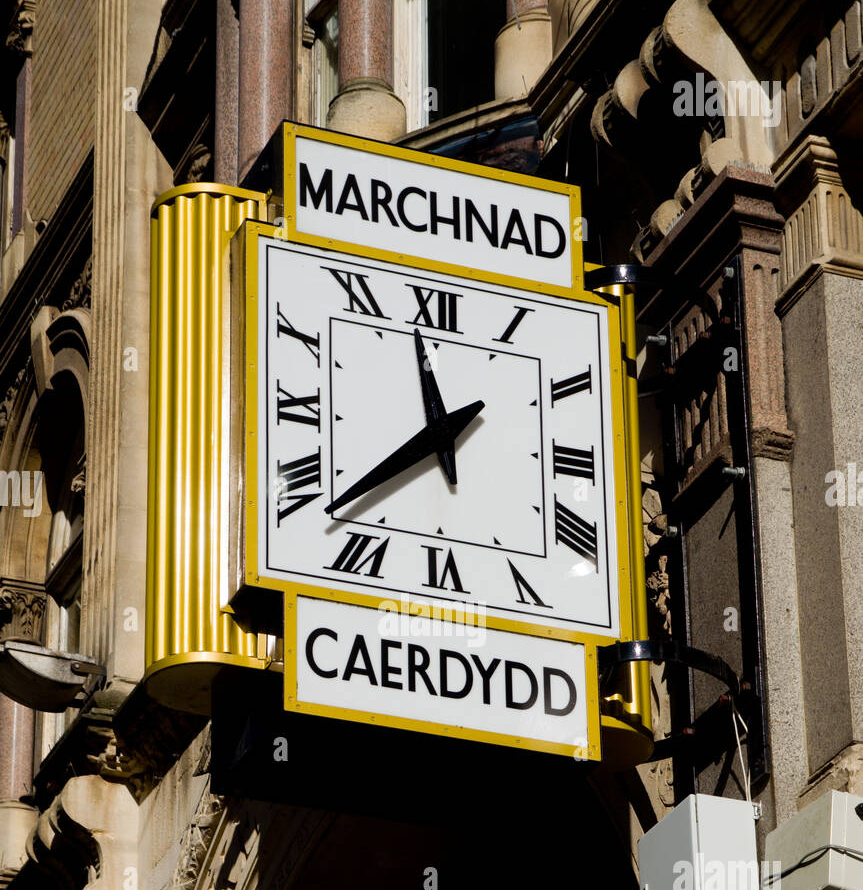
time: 11:37
